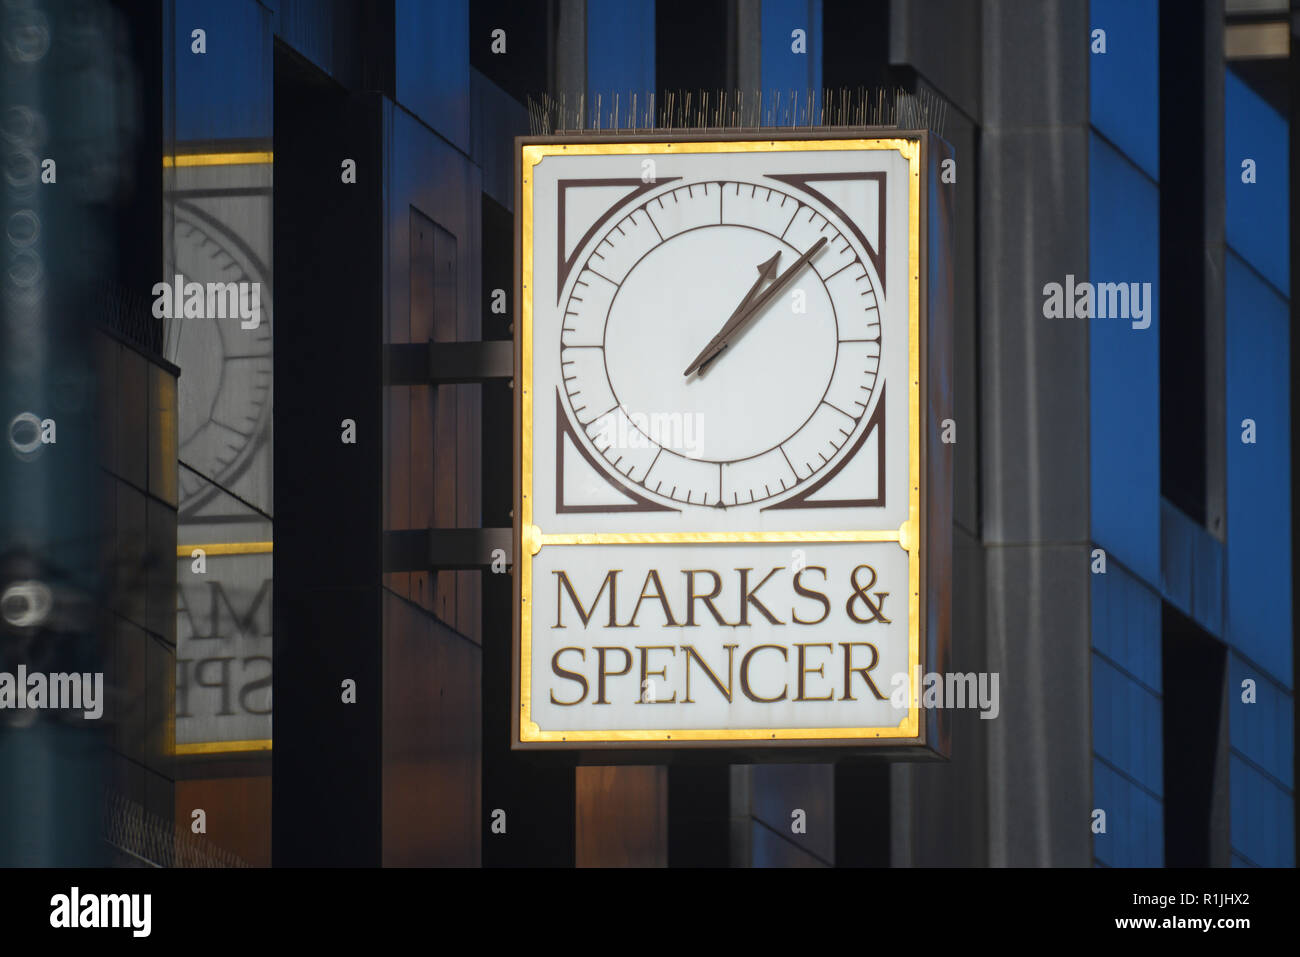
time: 1:07
